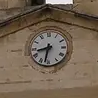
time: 8:32
